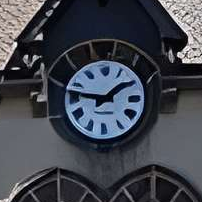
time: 1:46
